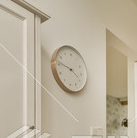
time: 3:46
